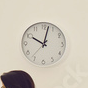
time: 10:02
